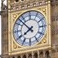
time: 7:52
